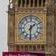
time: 1:30
